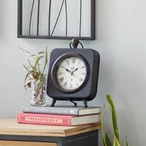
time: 1:50
